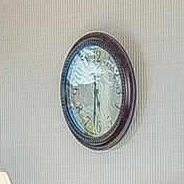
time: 5:31
